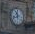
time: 11:42
